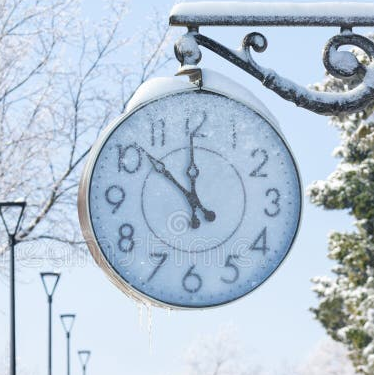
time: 11:52
